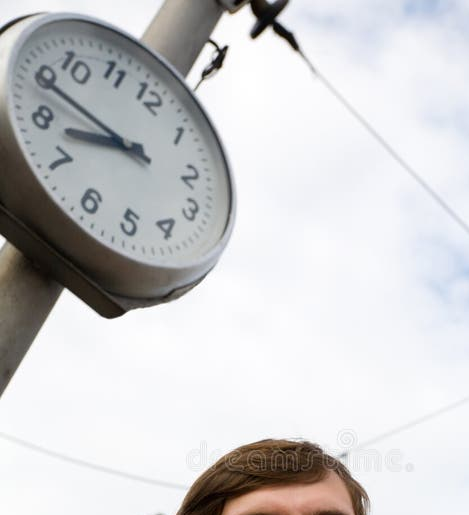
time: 8:49
